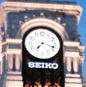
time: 7:17
